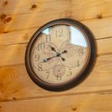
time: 10:42
